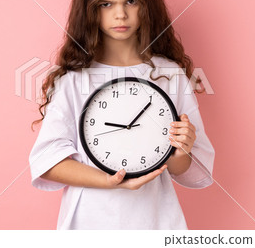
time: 9:06
